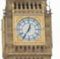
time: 12:35
